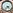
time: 4:37
